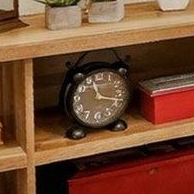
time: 11:18
